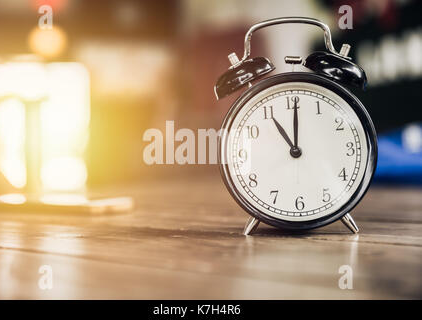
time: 11:00
